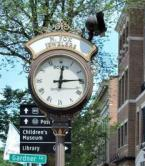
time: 12:14
